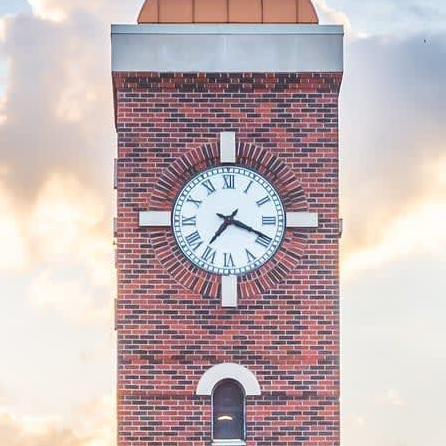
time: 7:18
